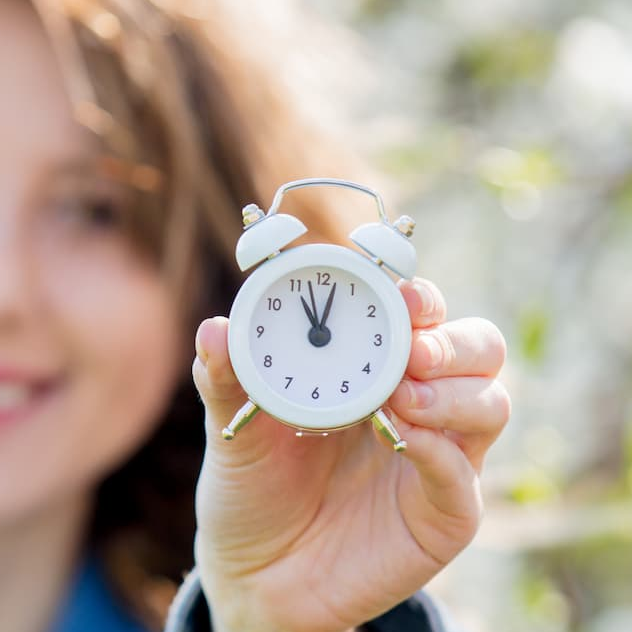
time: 11:02
